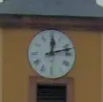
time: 12:12
